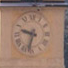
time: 9:33
